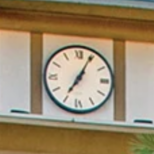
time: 7:04
